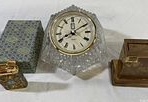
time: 8:09
